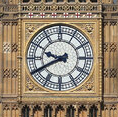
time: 9:40
